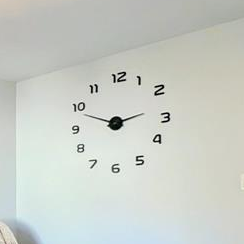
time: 2:48
